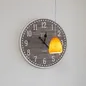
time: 12:23
